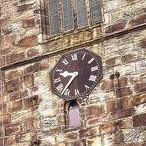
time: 9:36
